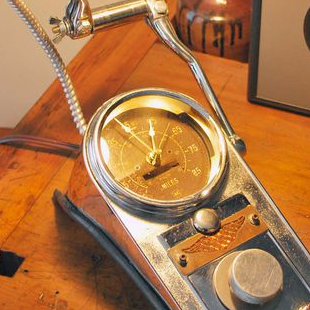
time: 11:51
